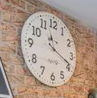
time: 11:19
